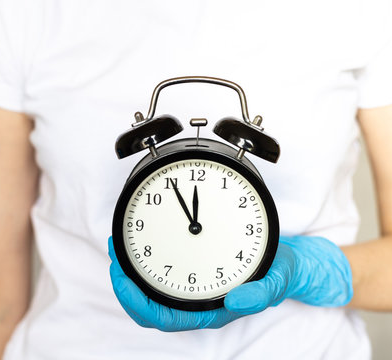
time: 11:54
